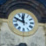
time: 11:48
